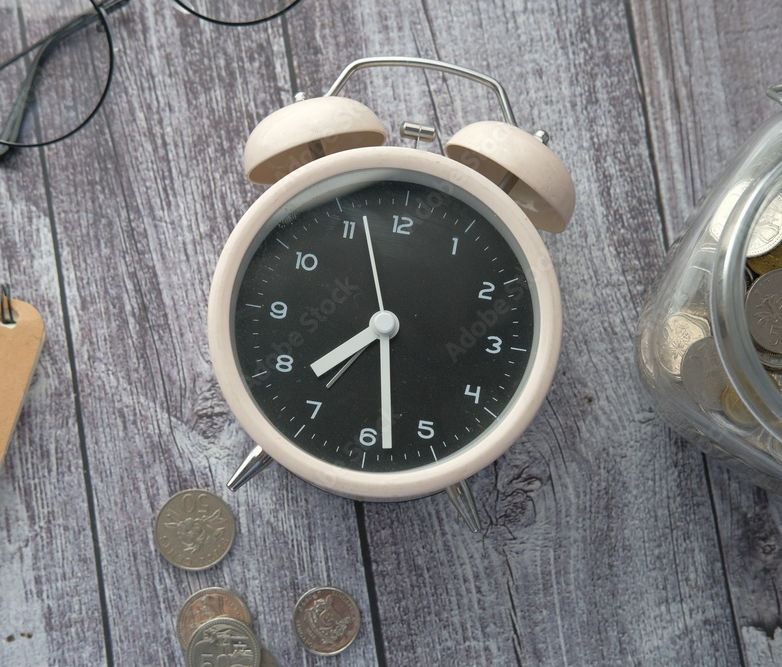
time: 7:28
